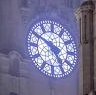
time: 4:50
